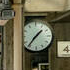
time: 1:36
